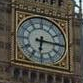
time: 6:15
